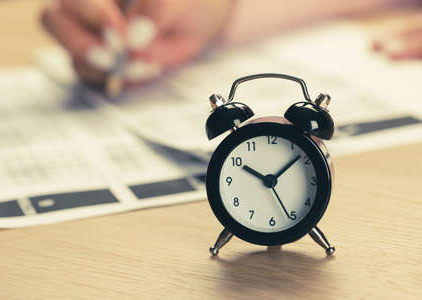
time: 10:08
